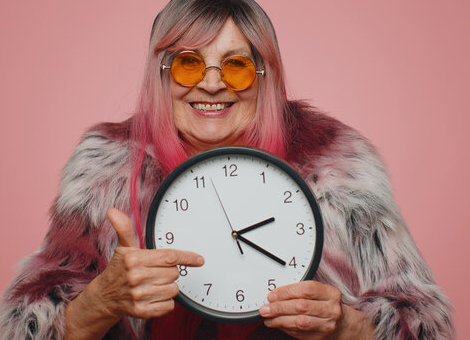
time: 2:20
